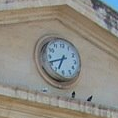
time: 6:41
